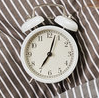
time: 7:03
